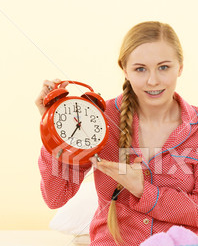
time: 6:59
